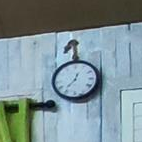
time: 12:36
